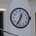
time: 12:34
